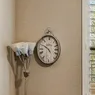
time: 4:49
